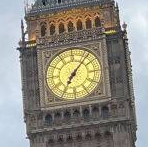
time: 7:06
